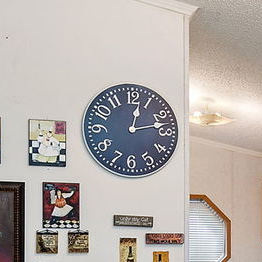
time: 12:12
